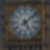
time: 5:08
